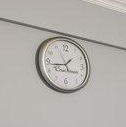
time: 1:43
